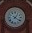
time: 1:20
